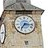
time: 7:16
